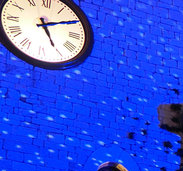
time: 5:09
